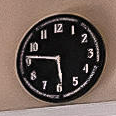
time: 5:46
